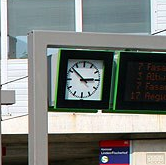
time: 2:51
